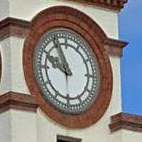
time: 9:55
